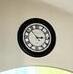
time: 2:53
